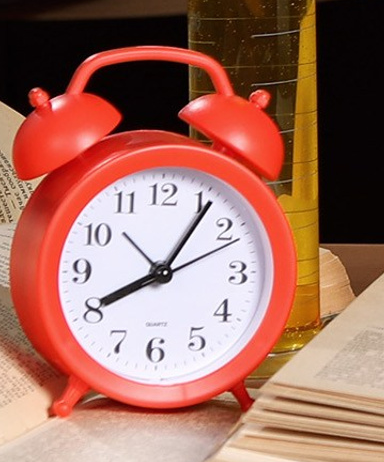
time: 8:06
